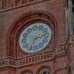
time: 2:34
